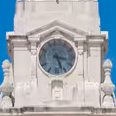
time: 3:26
